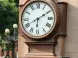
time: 6:10
